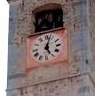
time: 5:02
